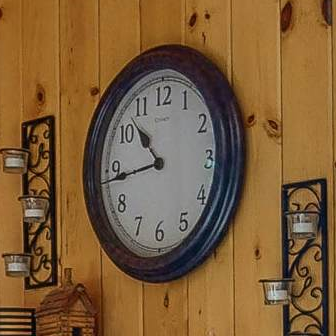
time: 10:43
